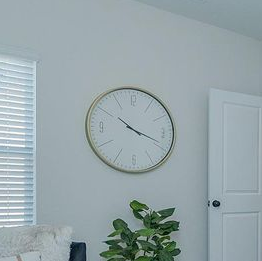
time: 10:18
